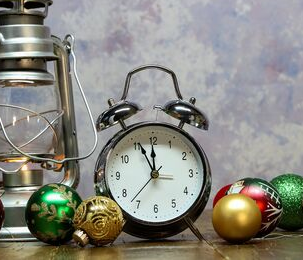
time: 11:55
